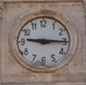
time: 9:15
